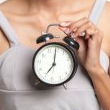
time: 7:00
